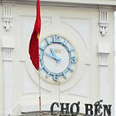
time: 10:48
